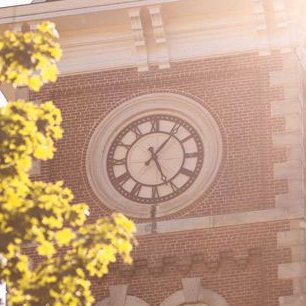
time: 5:06
